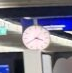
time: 3:40
